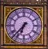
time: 6:37
